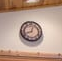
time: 12:41
